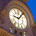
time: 9:07
